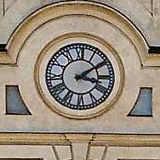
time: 3:09
